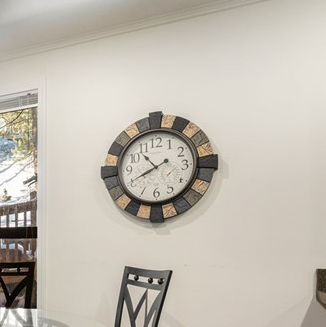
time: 10:41
